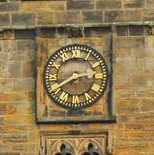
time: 2:40
